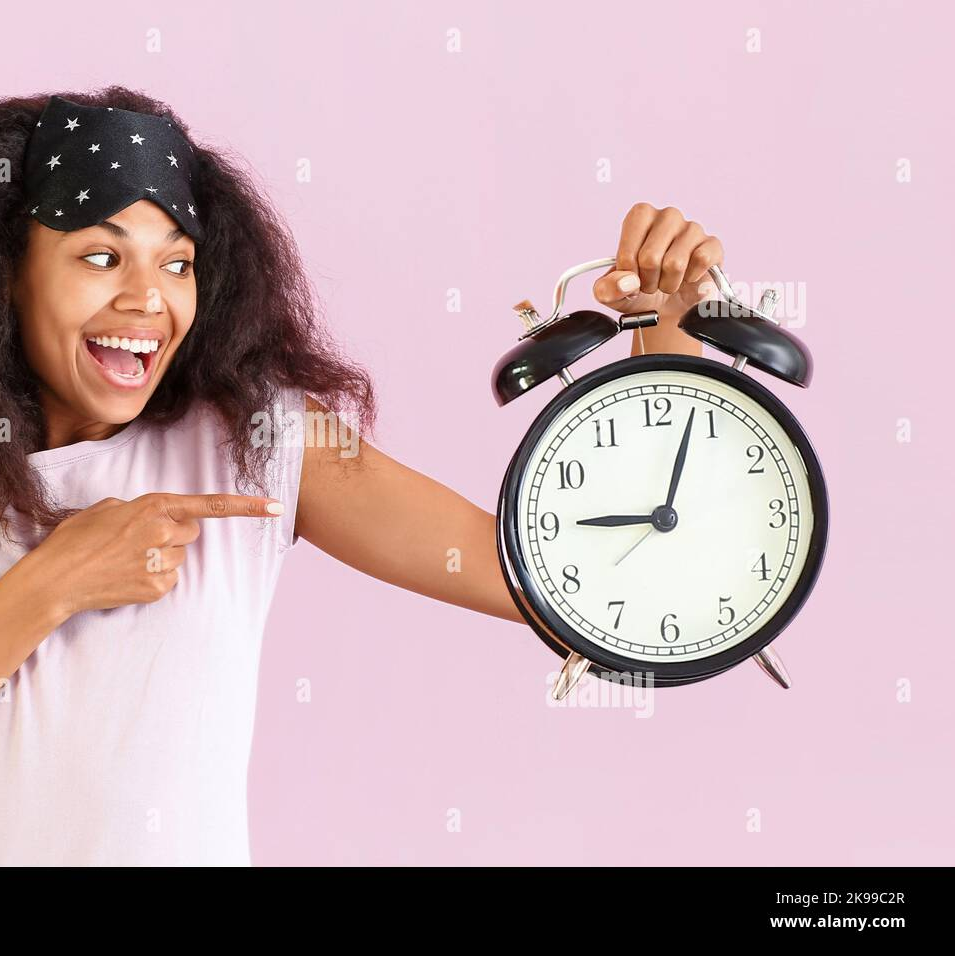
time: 9:03
